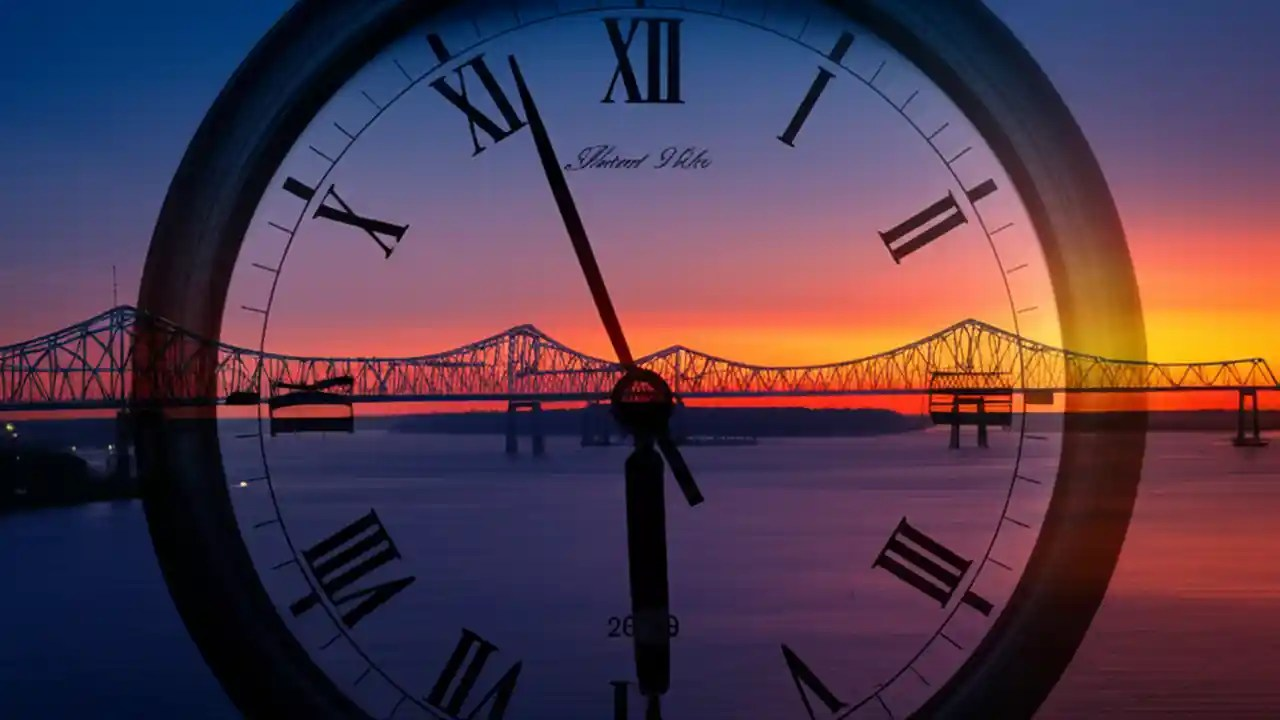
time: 5:56
